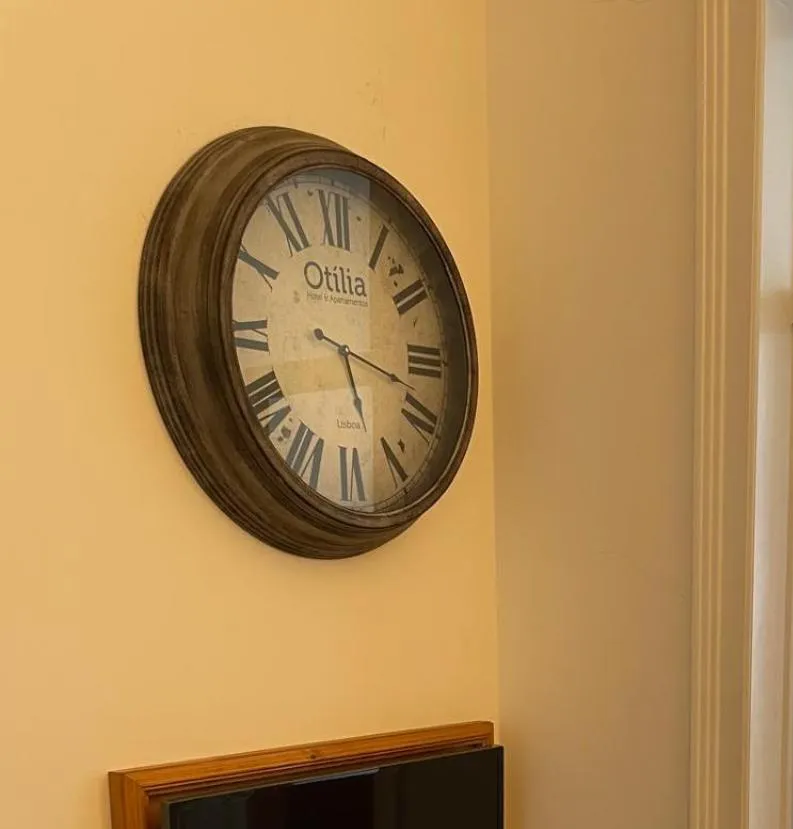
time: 5:17
